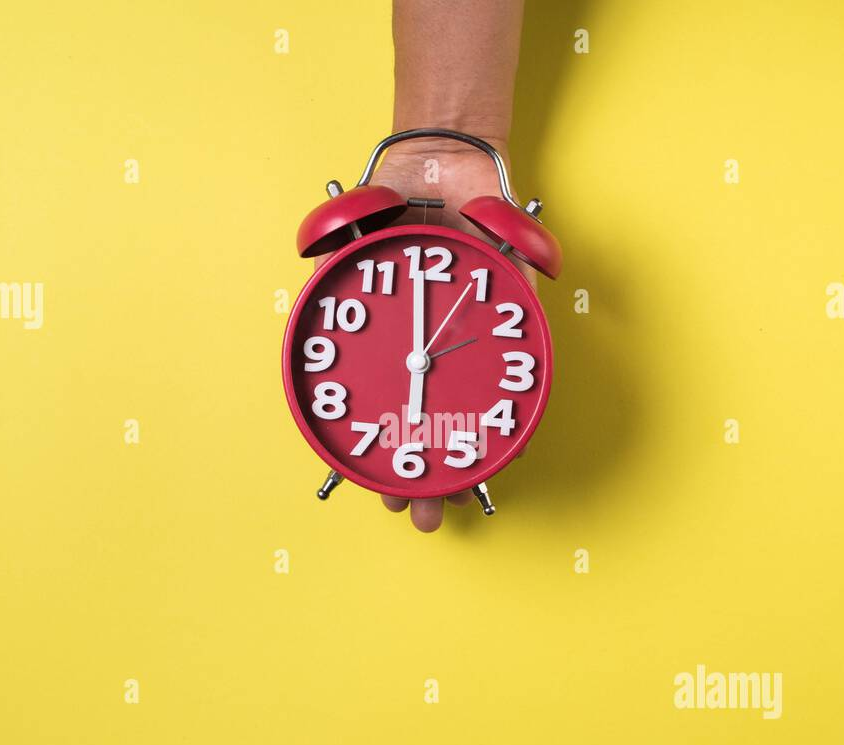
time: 5:59
